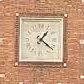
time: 1:21
